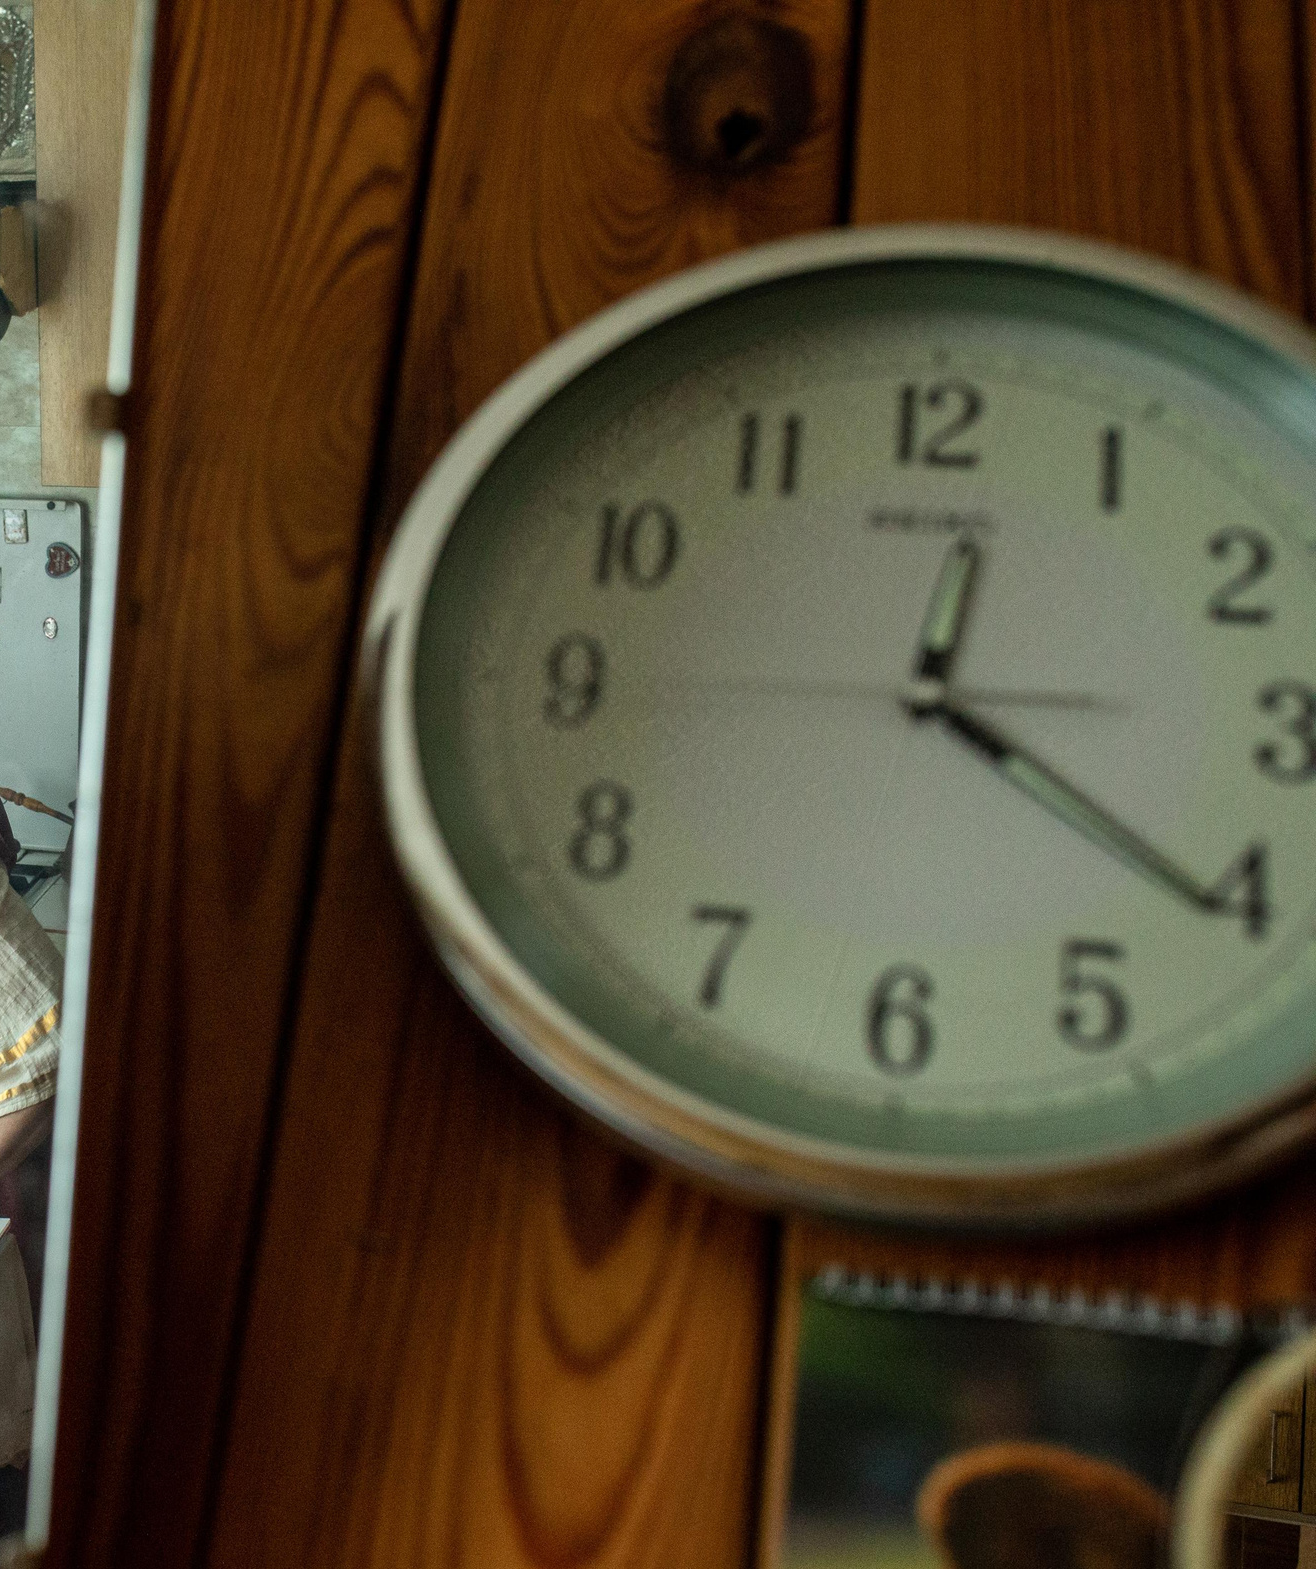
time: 12:20
